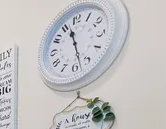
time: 11:28
